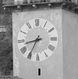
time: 8:35
